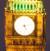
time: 5:13
